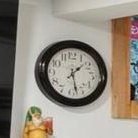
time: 1:27
